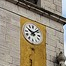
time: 10:07
